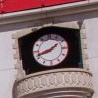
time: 1:41
